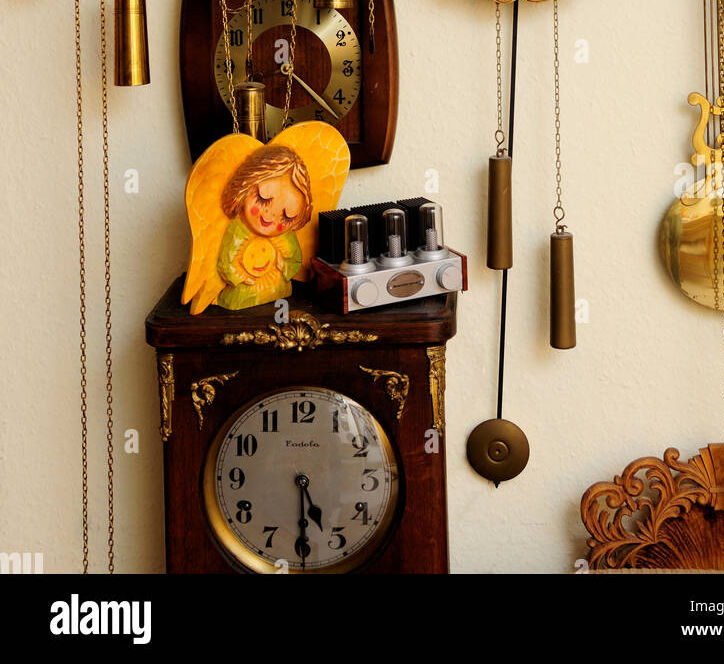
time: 5:30
